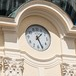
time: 1:26
